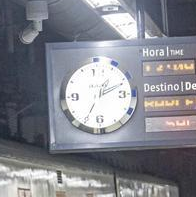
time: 1:11
